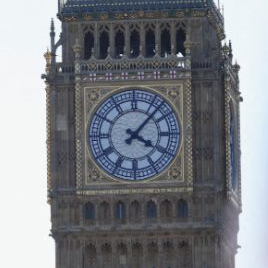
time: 4:07
